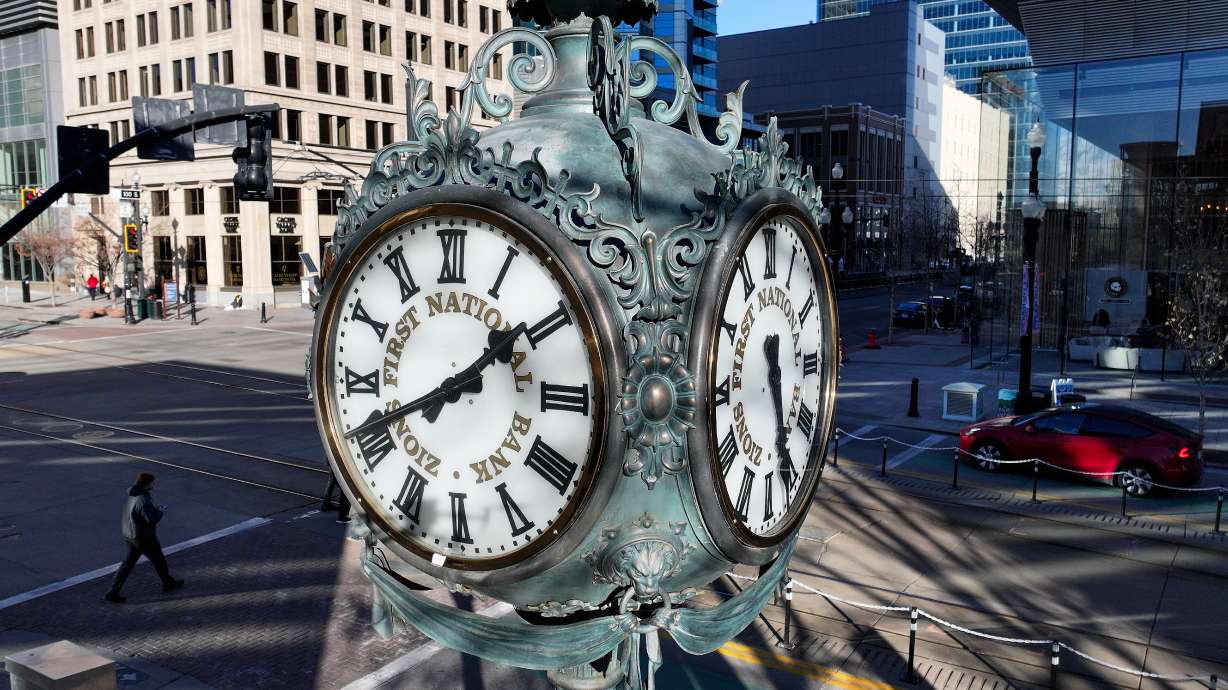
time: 1:41
